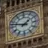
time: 1:47
